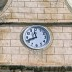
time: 11:41
